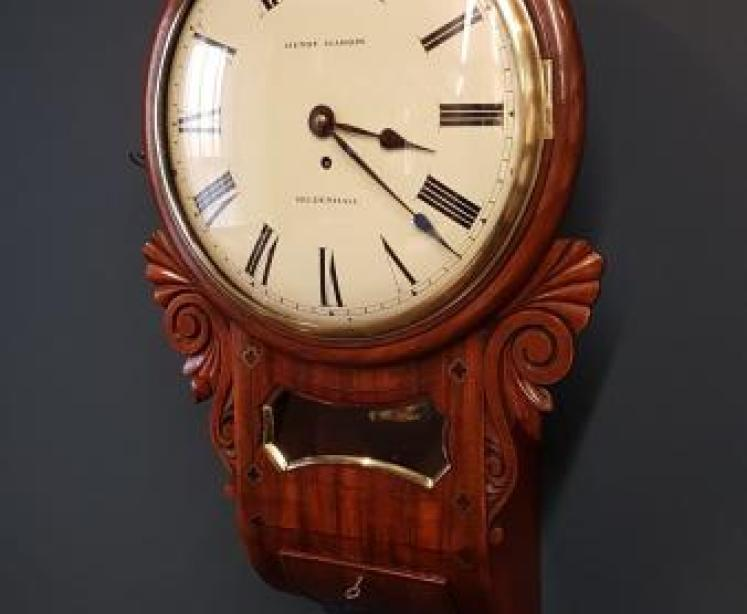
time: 3:21
